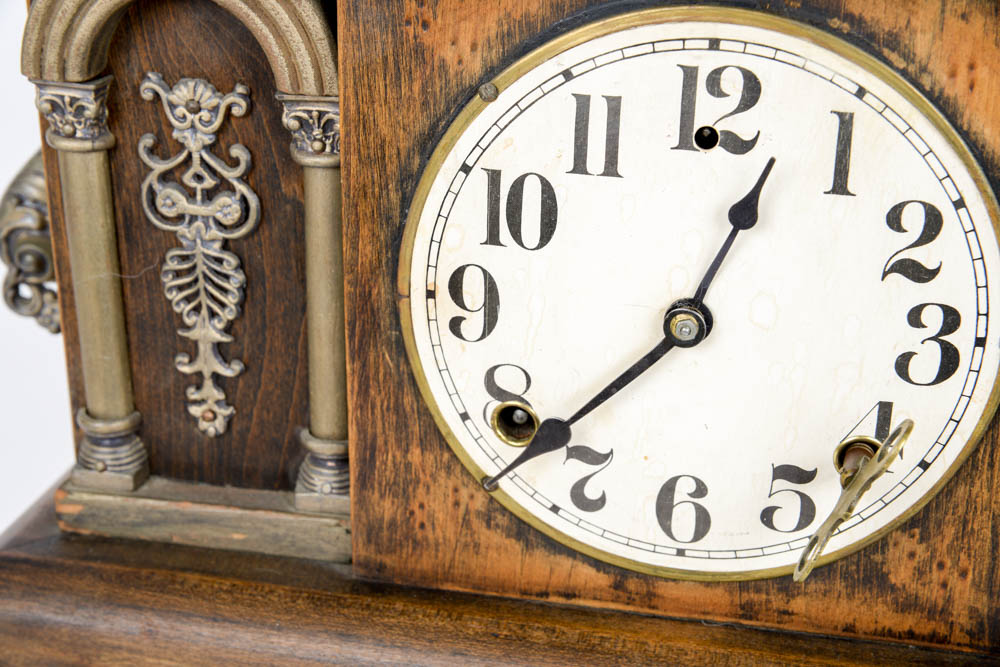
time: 12:37
